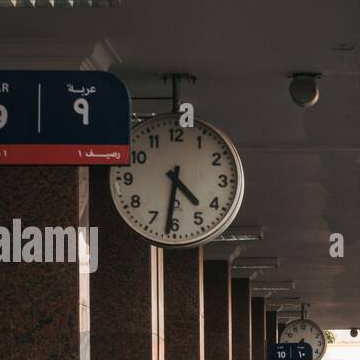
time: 4:31
